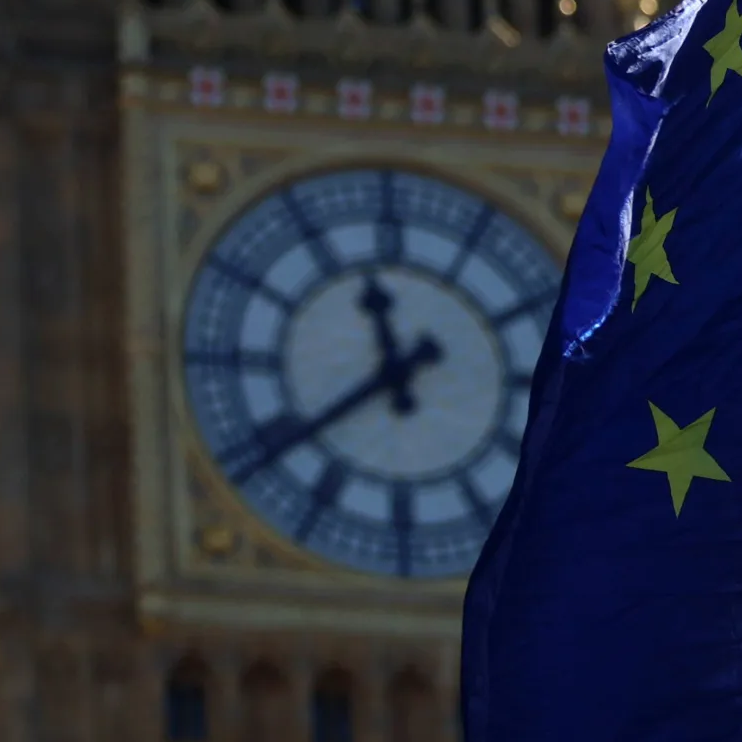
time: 11:38
